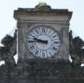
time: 9:44
